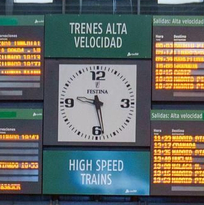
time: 9:28
